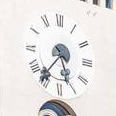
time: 5:36
